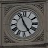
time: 4:56
